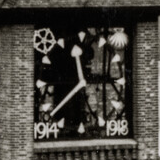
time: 11:38
